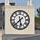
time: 5:37
